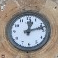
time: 12:12
